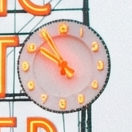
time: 10:50
